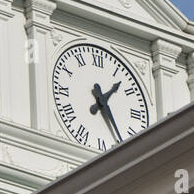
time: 1:26
